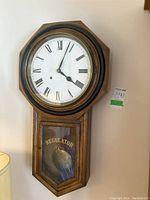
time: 4:03
